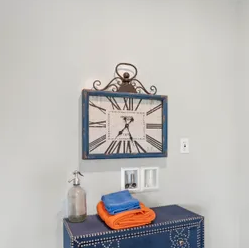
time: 7:25
